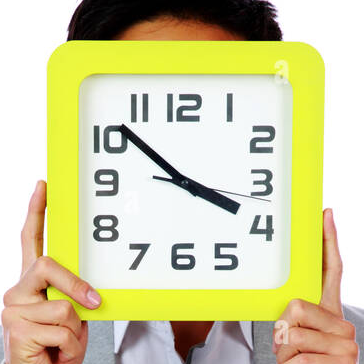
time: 3:51
